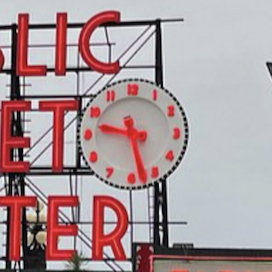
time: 9:28
